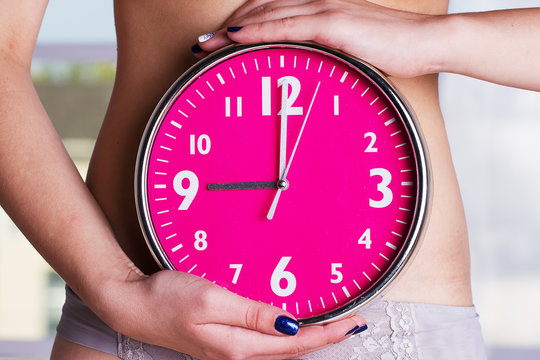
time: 9:00
